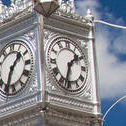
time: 1:33
